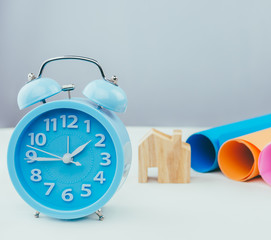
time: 1:44
